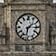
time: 1:32
